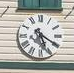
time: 5:20
